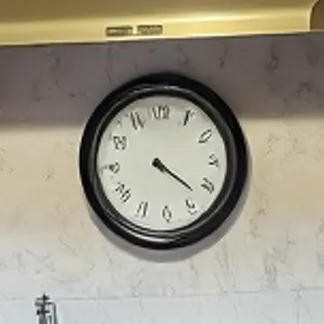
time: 4:21
